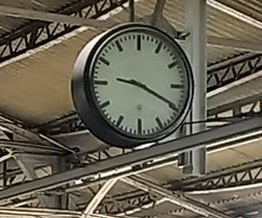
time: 9:19
